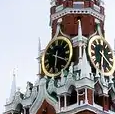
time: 6:19
